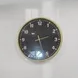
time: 2:26
